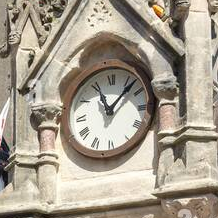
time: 11:07
